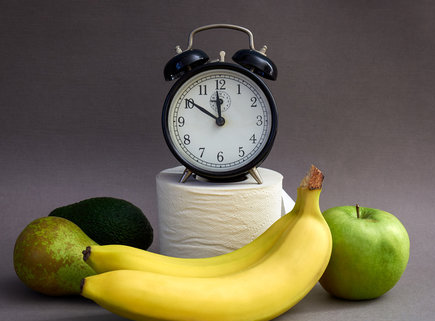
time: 11:50
